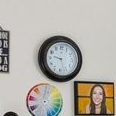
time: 9:27
